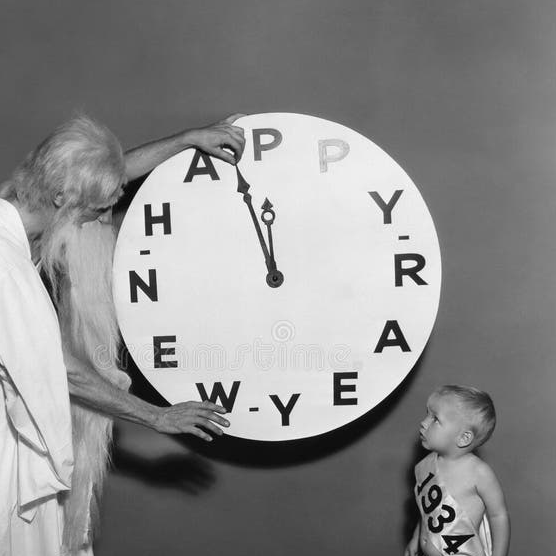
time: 11:57
